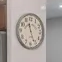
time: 11:26
